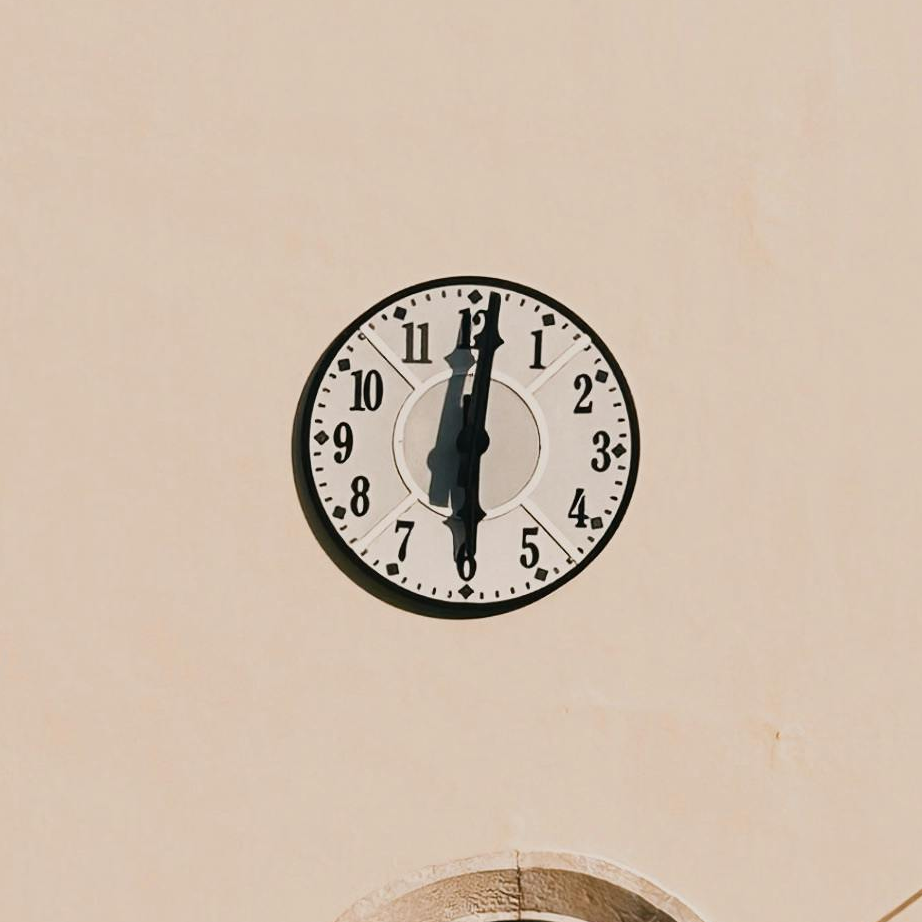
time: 6:01
